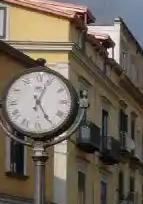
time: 5:04
